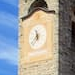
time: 11:36
